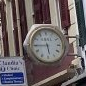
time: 5:44
